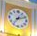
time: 7:11
